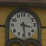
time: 3:29
